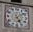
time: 5:08
